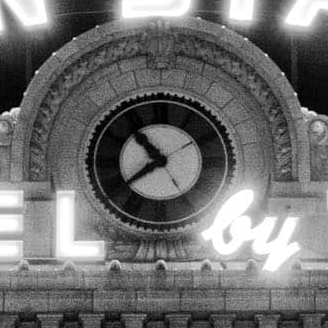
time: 10:38
